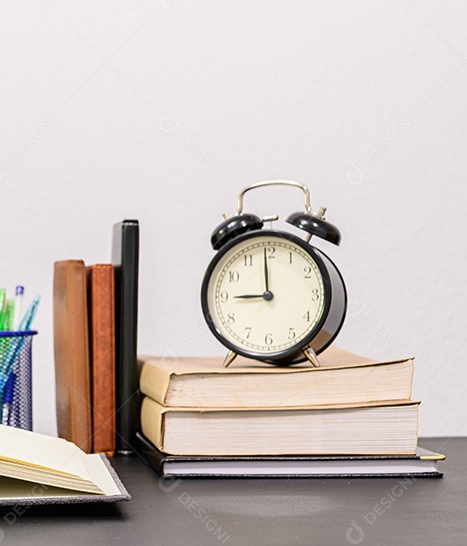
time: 8:59
